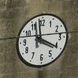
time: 3:58
